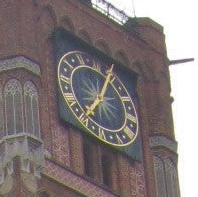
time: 7:04
